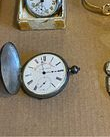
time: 2:58
